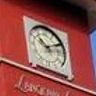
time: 10:10
